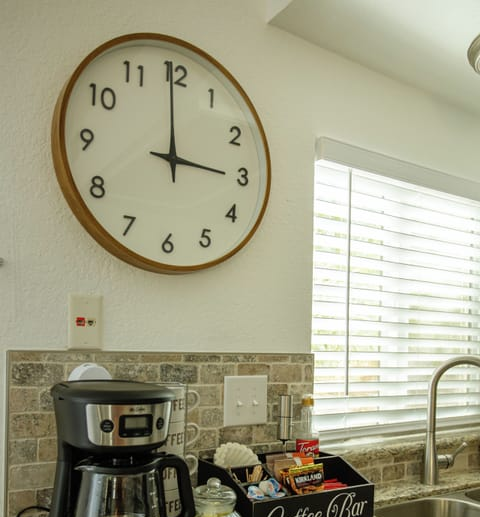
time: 2:59
